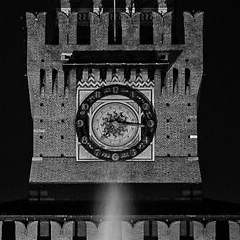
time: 7:16
